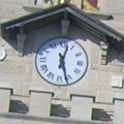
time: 12:27
